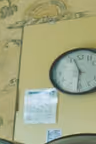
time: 11:30
